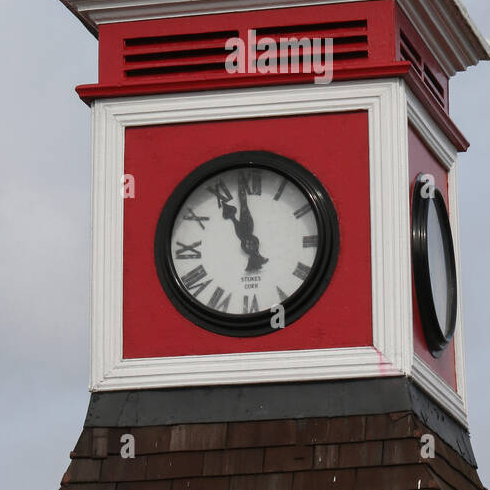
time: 10:58
